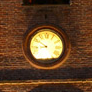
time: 8:50
